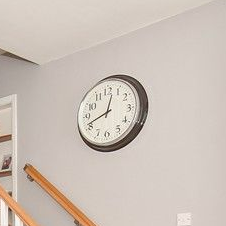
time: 12:41
